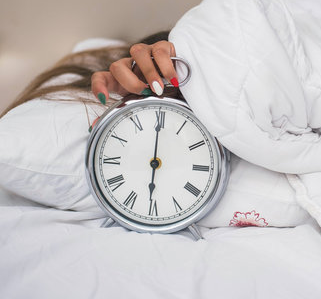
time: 6:00
